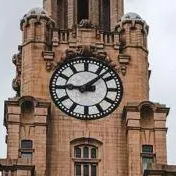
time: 9:07
